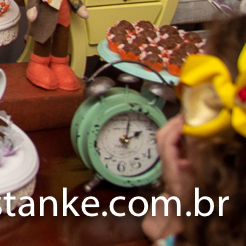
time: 2:02
